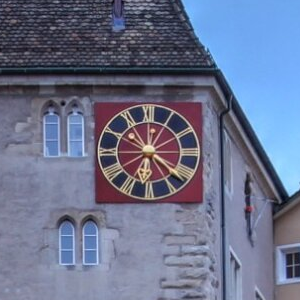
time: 6:21
